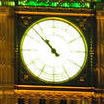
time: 10:52
